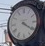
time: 4:20
